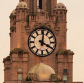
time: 4:01
